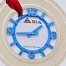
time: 1:44
